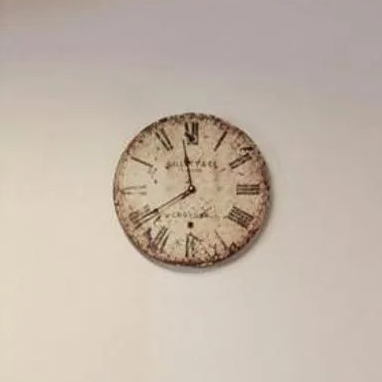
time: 11:40
